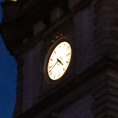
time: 4:41
